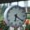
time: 6:21
